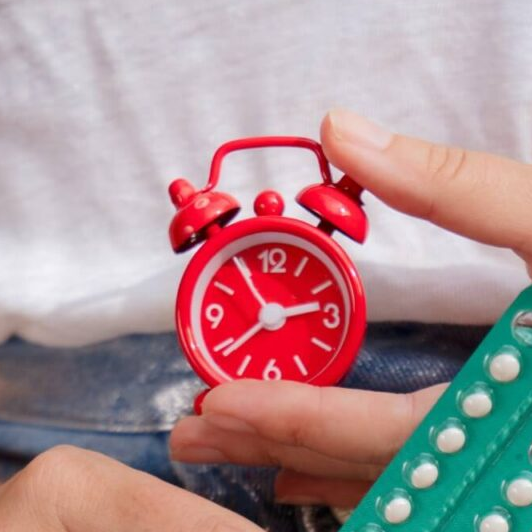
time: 2:38
